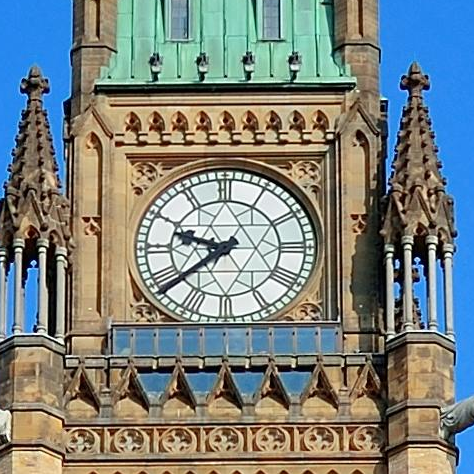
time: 9:38
